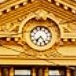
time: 7:24
